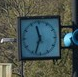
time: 11:33
